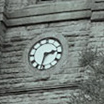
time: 2:32
